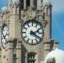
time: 2:21
